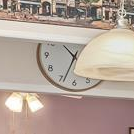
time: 10:33
